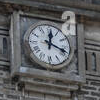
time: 12:18
